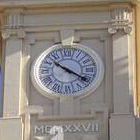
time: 10:20
